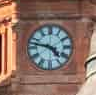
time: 4:47
